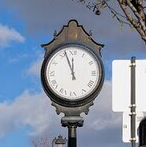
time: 11:56
